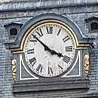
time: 3:52
